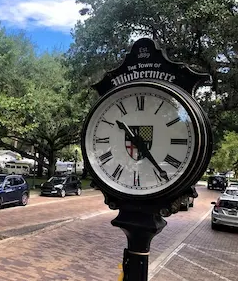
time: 10:23
